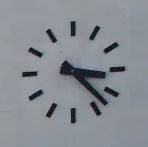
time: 3:22
